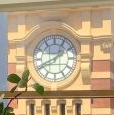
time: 1:41
